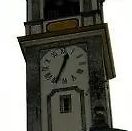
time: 12:34
